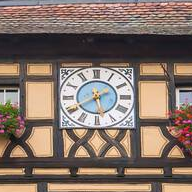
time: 5:40
